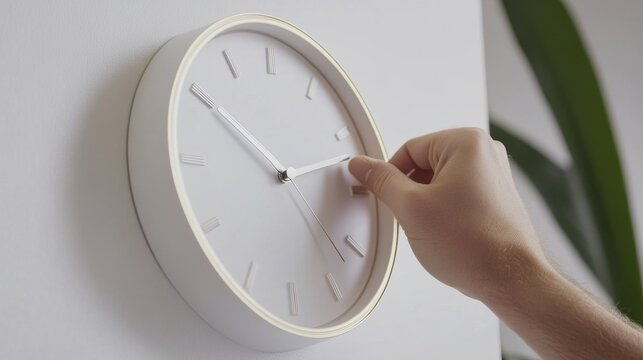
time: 10:12
